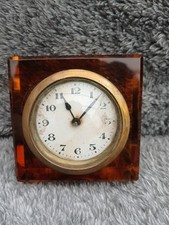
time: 11:07
